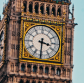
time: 3:30
